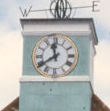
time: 11:39
